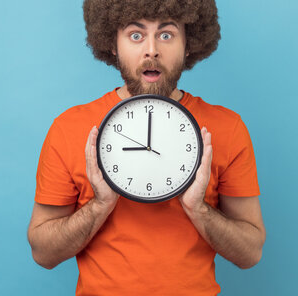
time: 9:00
